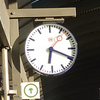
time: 6:19
